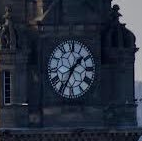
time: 1:34
